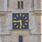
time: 5:44
